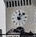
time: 12:07
